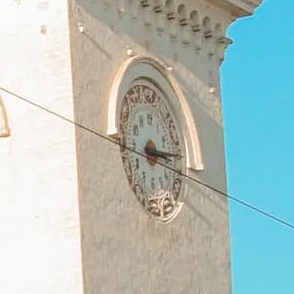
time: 3:16
